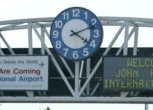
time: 4:11
